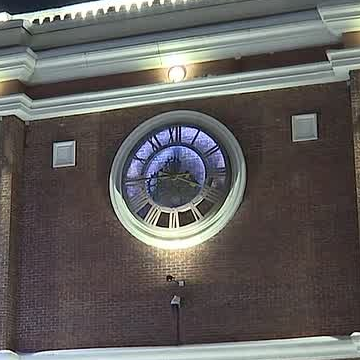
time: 3:43
